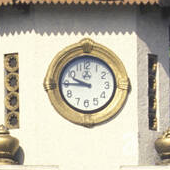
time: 9:45
